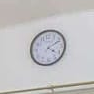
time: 4:10
